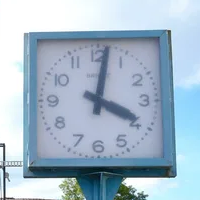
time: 4:01
